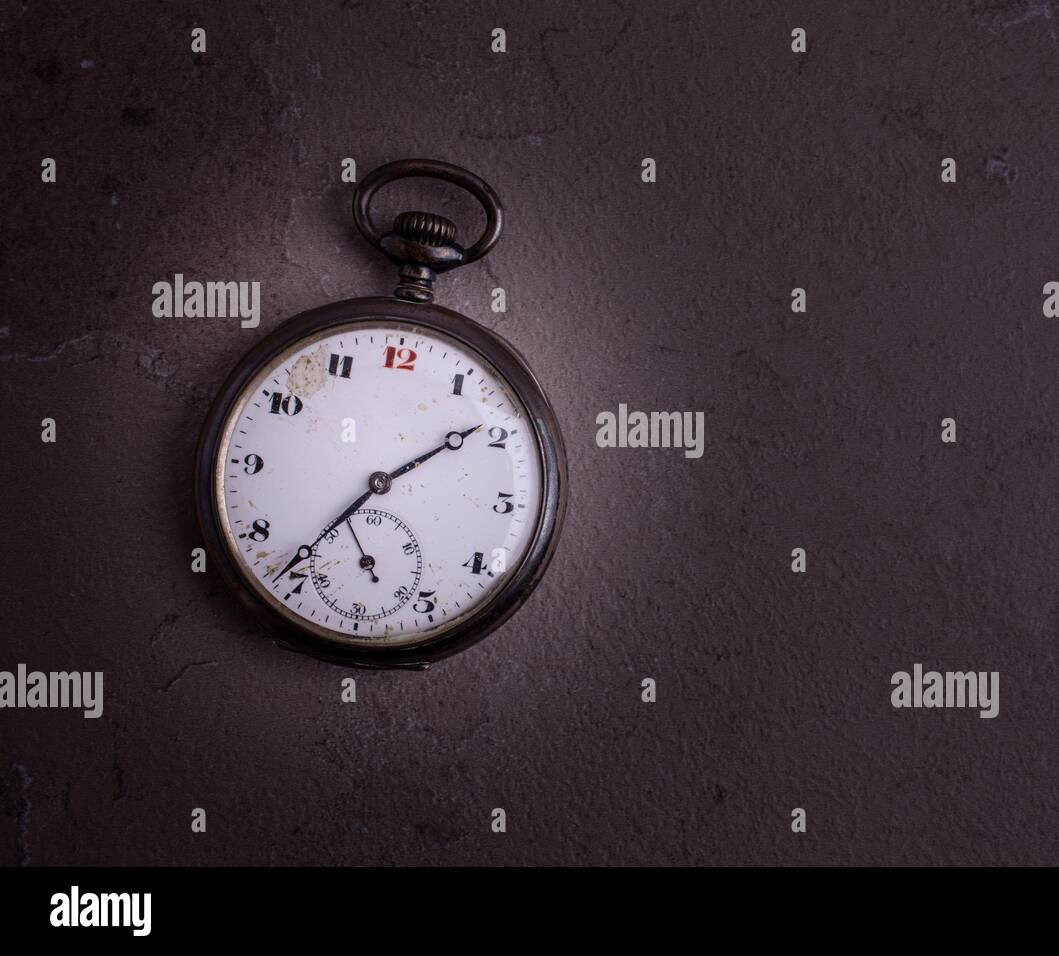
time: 1:36
